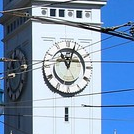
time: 11:03
